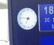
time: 6:46
